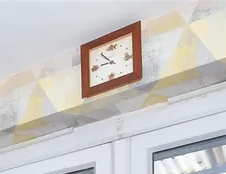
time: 8:53
